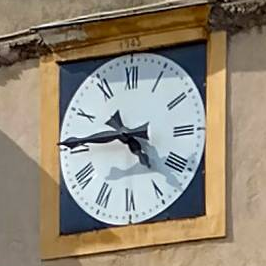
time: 4:45
